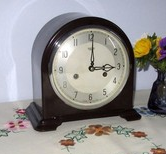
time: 3:00
